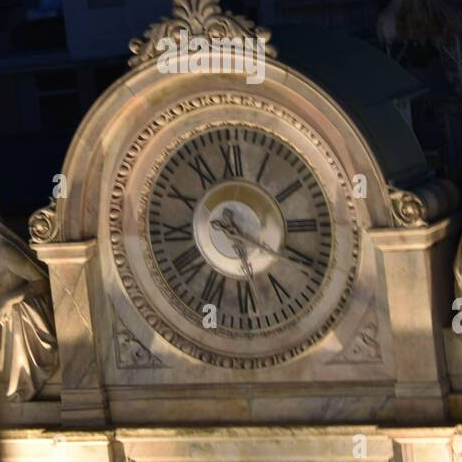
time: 5:19
